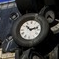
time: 10:12
